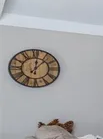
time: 12:07
